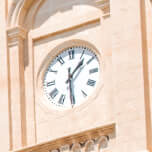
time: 1:30
